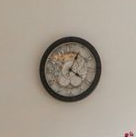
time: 4:04
